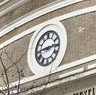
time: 2:44
